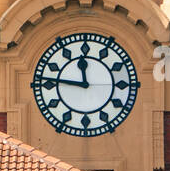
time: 11:46
